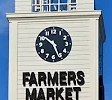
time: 10:26
